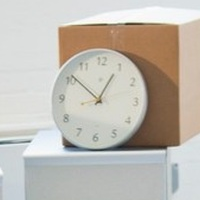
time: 12:51
